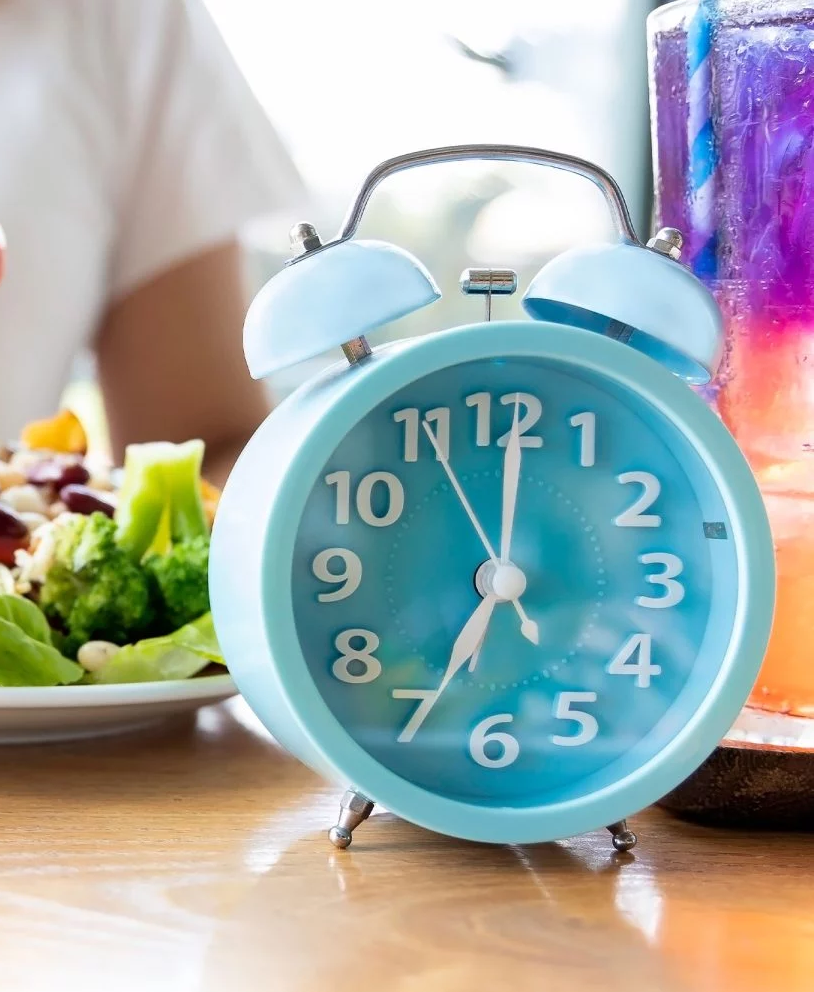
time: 7:00
